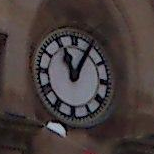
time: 11:05
